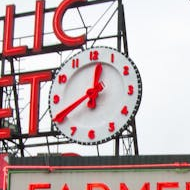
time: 12:40
